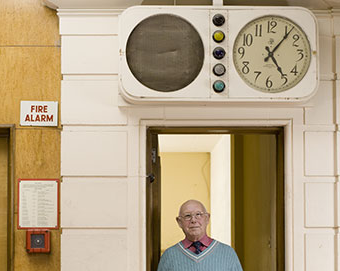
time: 5:06
